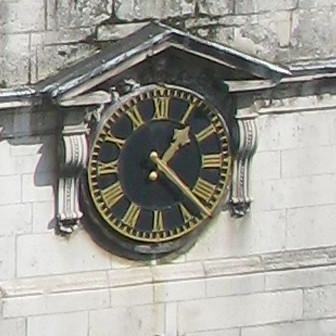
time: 1:22
